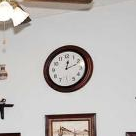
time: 12:11
